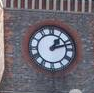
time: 1:12
